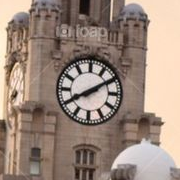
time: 8:09
